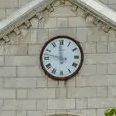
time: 11:47
